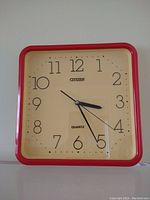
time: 3:25
